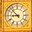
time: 8:52
